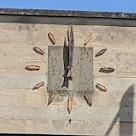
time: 11:59
